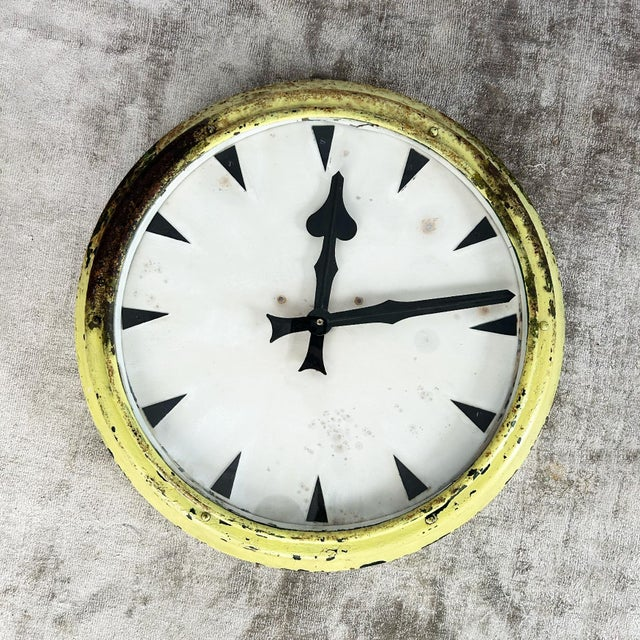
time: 12:13
